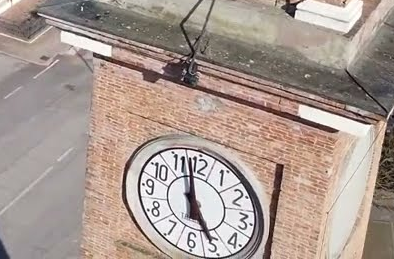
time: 4:58
